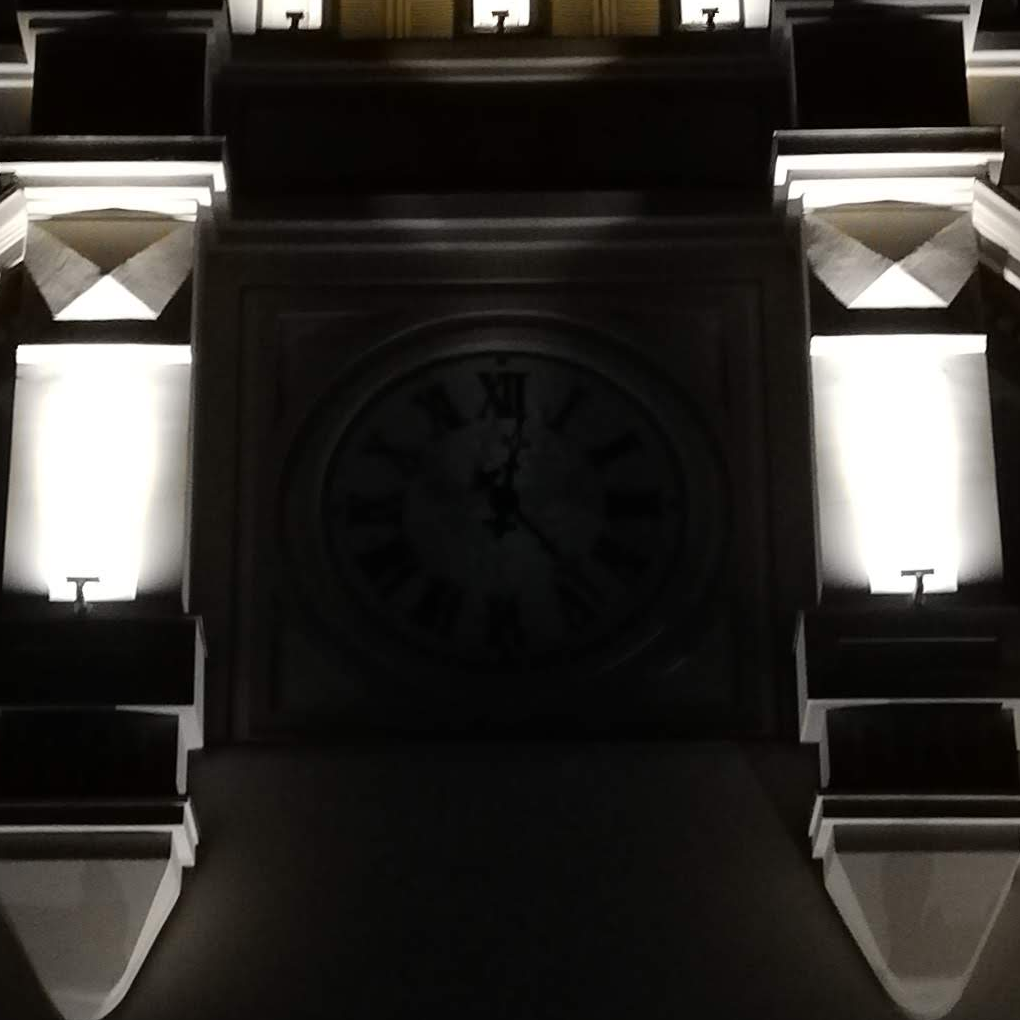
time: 12:23
